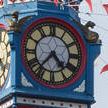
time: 4:36
